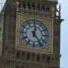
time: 12:23
